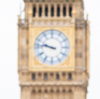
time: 9:47
